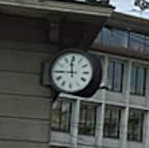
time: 11:44
